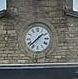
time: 1:37
